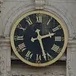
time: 2:27
